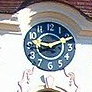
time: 9:11
